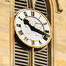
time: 10:17
